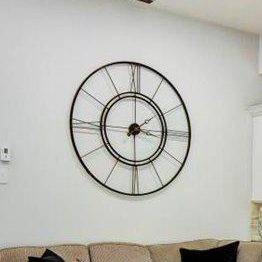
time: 2:00
